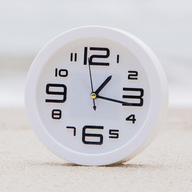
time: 1:16
